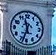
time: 11:33
